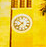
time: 7:52
